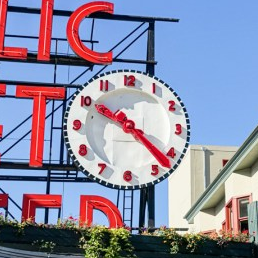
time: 4:22
